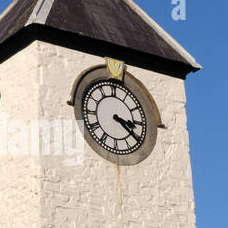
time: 3:21
